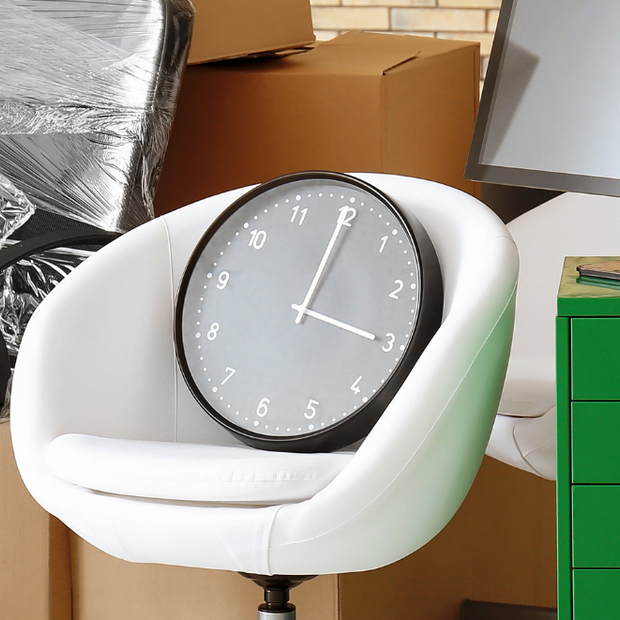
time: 3:00
